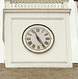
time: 11:24
